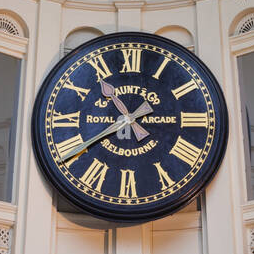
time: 10:39
